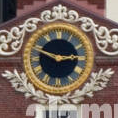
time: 2:48
